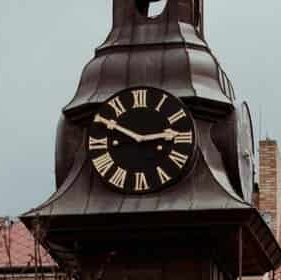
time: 2:50
